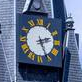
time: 2:25
